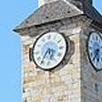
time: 5:35
